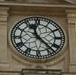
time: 11:22
